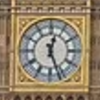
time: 12:26
